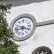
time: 3:43
